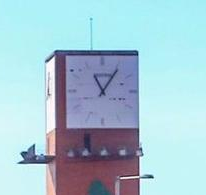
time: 11:05
